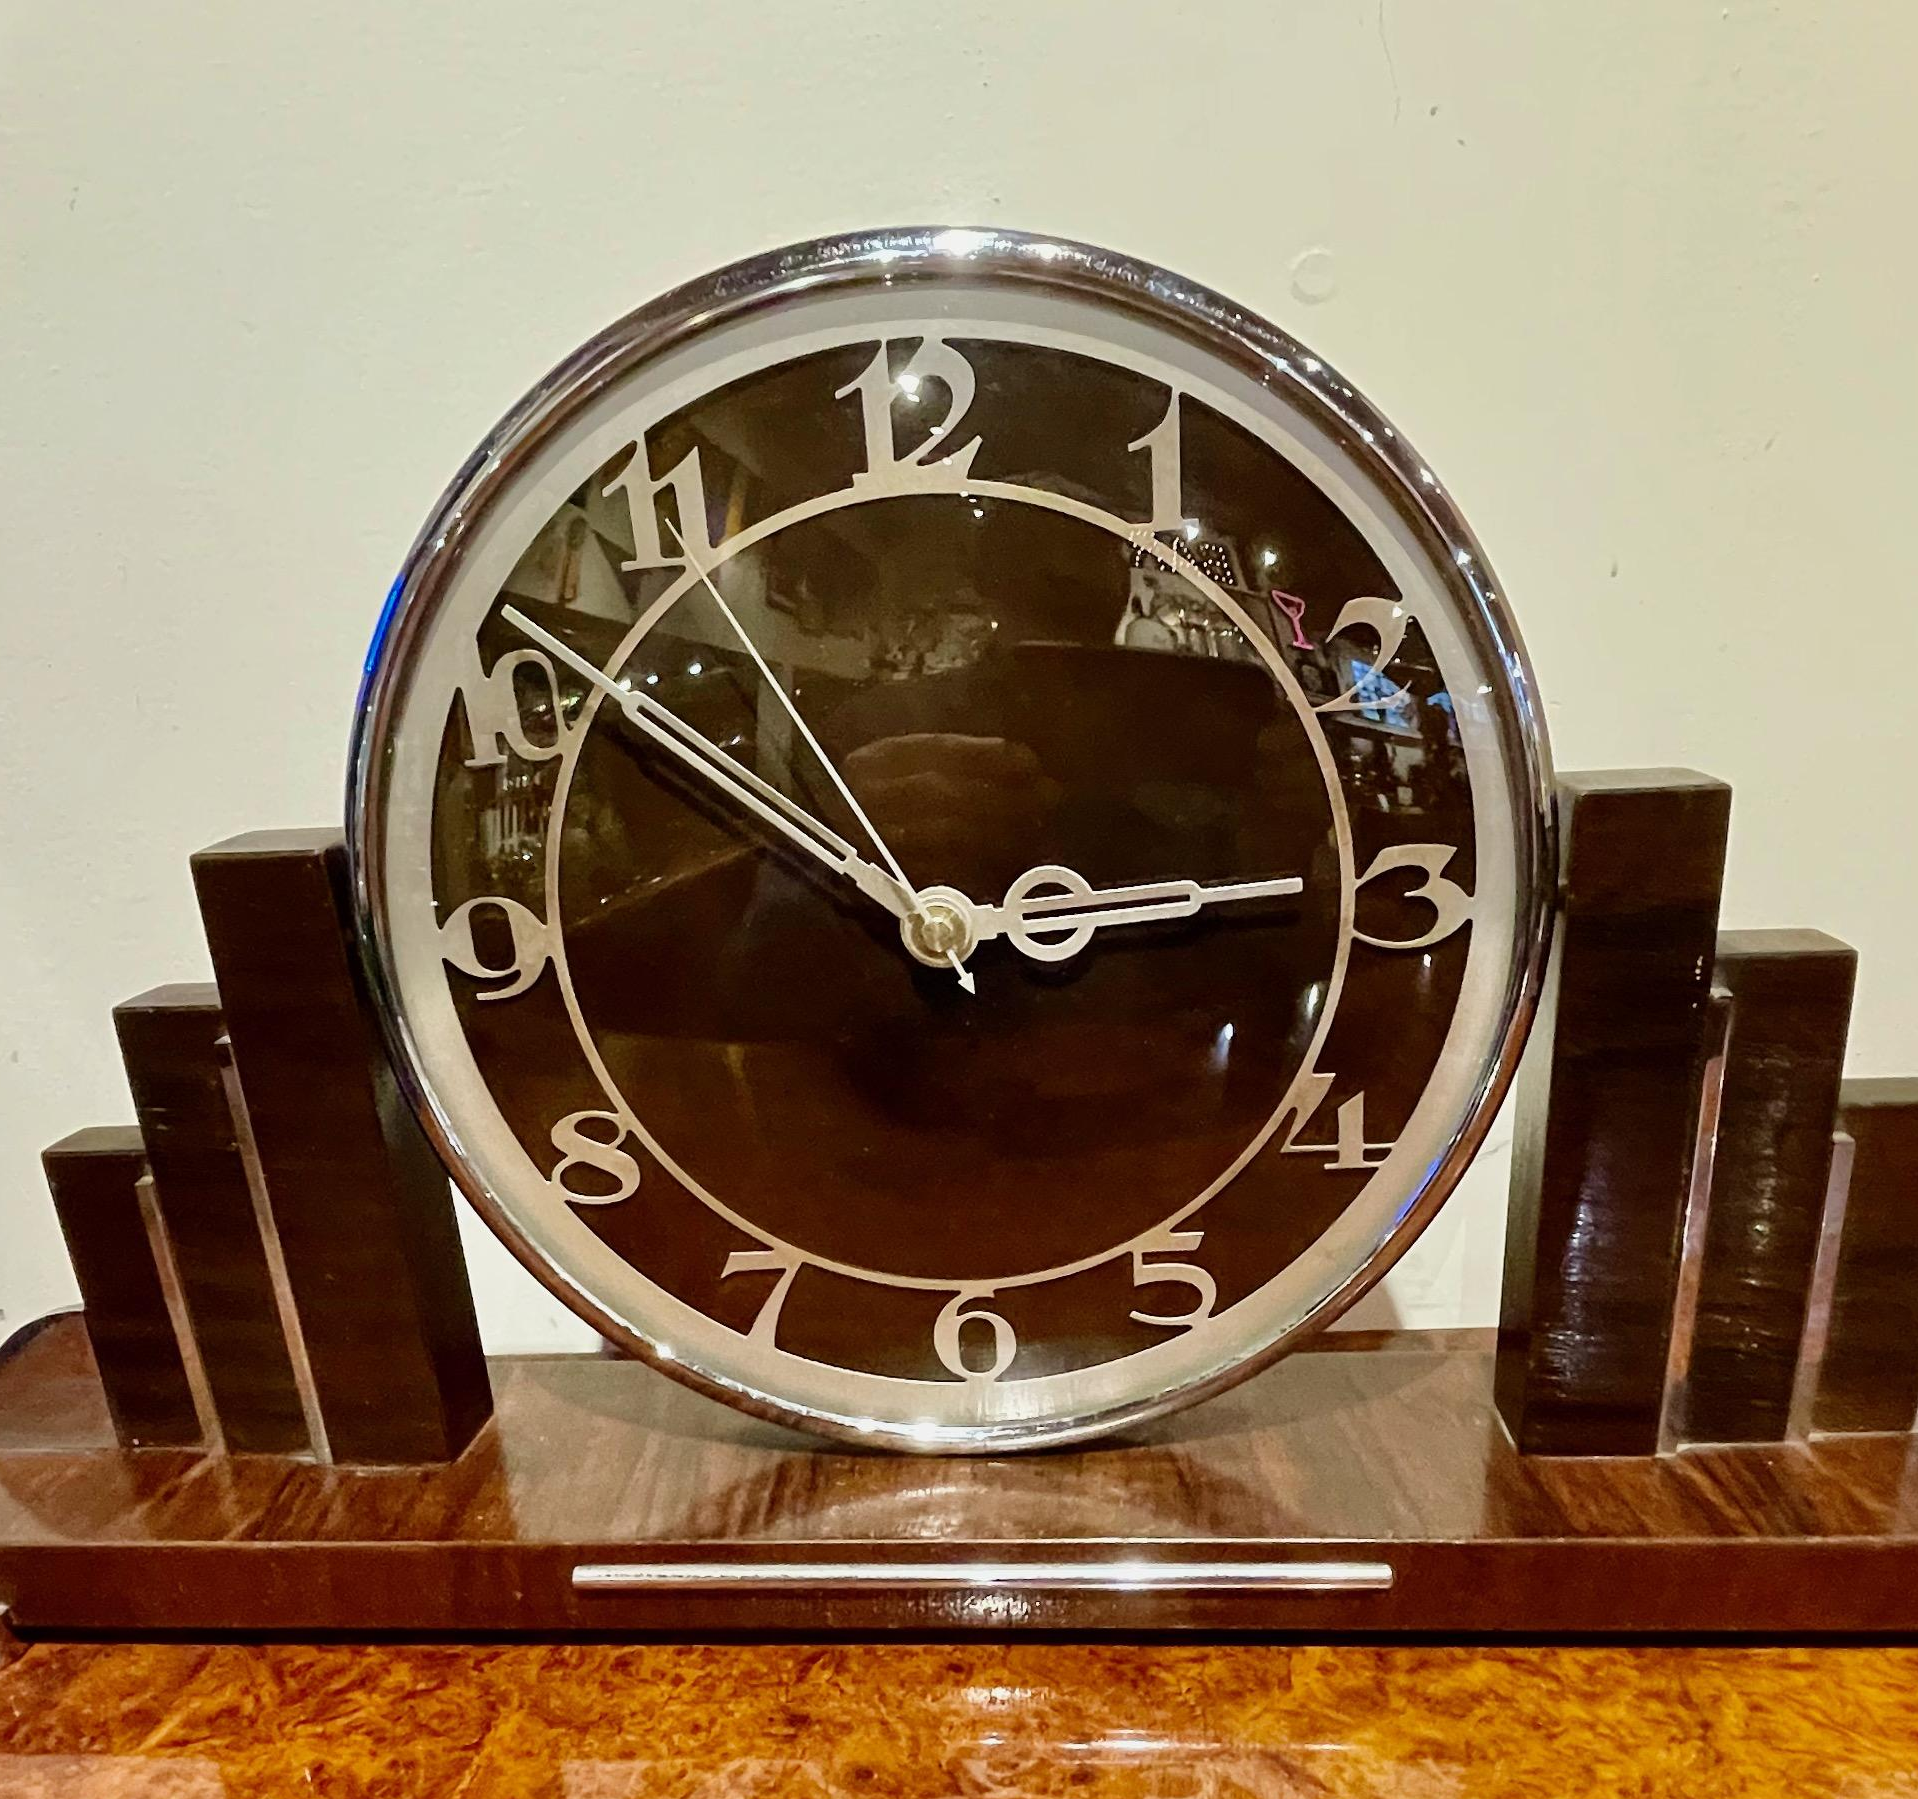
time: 2:51
